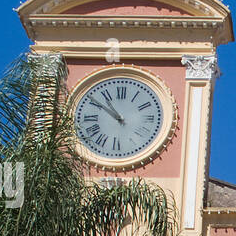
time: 10:50
